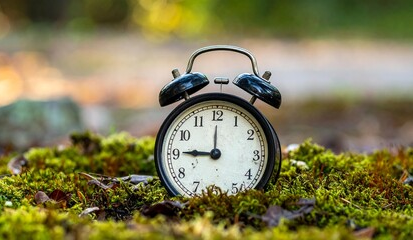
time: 9:00
